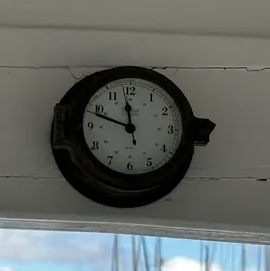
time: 11:48
